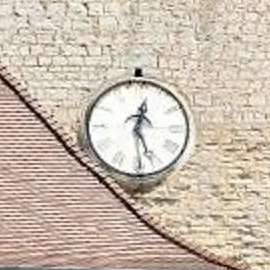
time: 12:26
